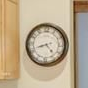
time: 8:23
